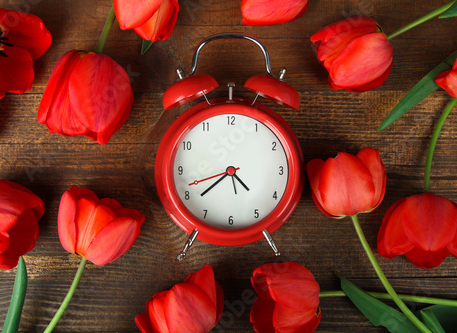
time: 4:37
